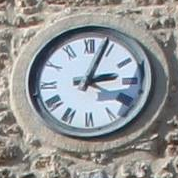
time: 3:03
